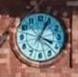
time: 4:04
